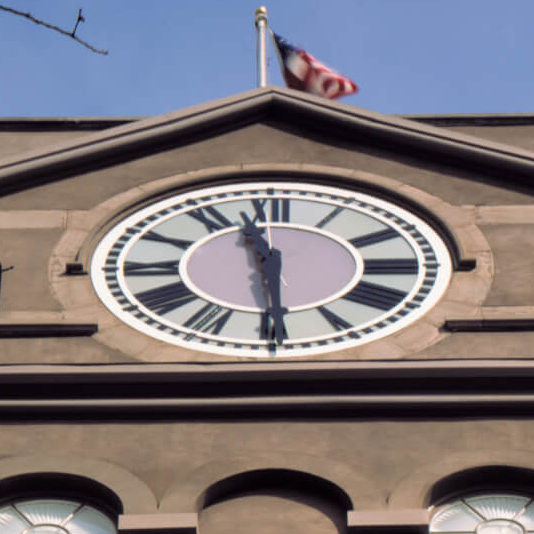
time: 11:29
